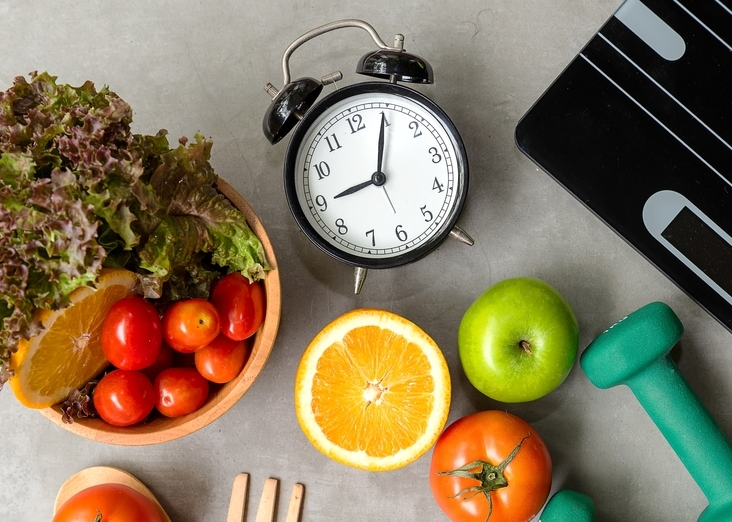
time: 9:04
